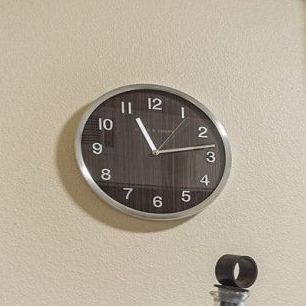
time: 11:13
